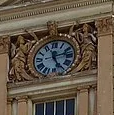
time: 5:12
